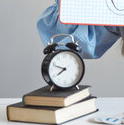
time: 7:48
